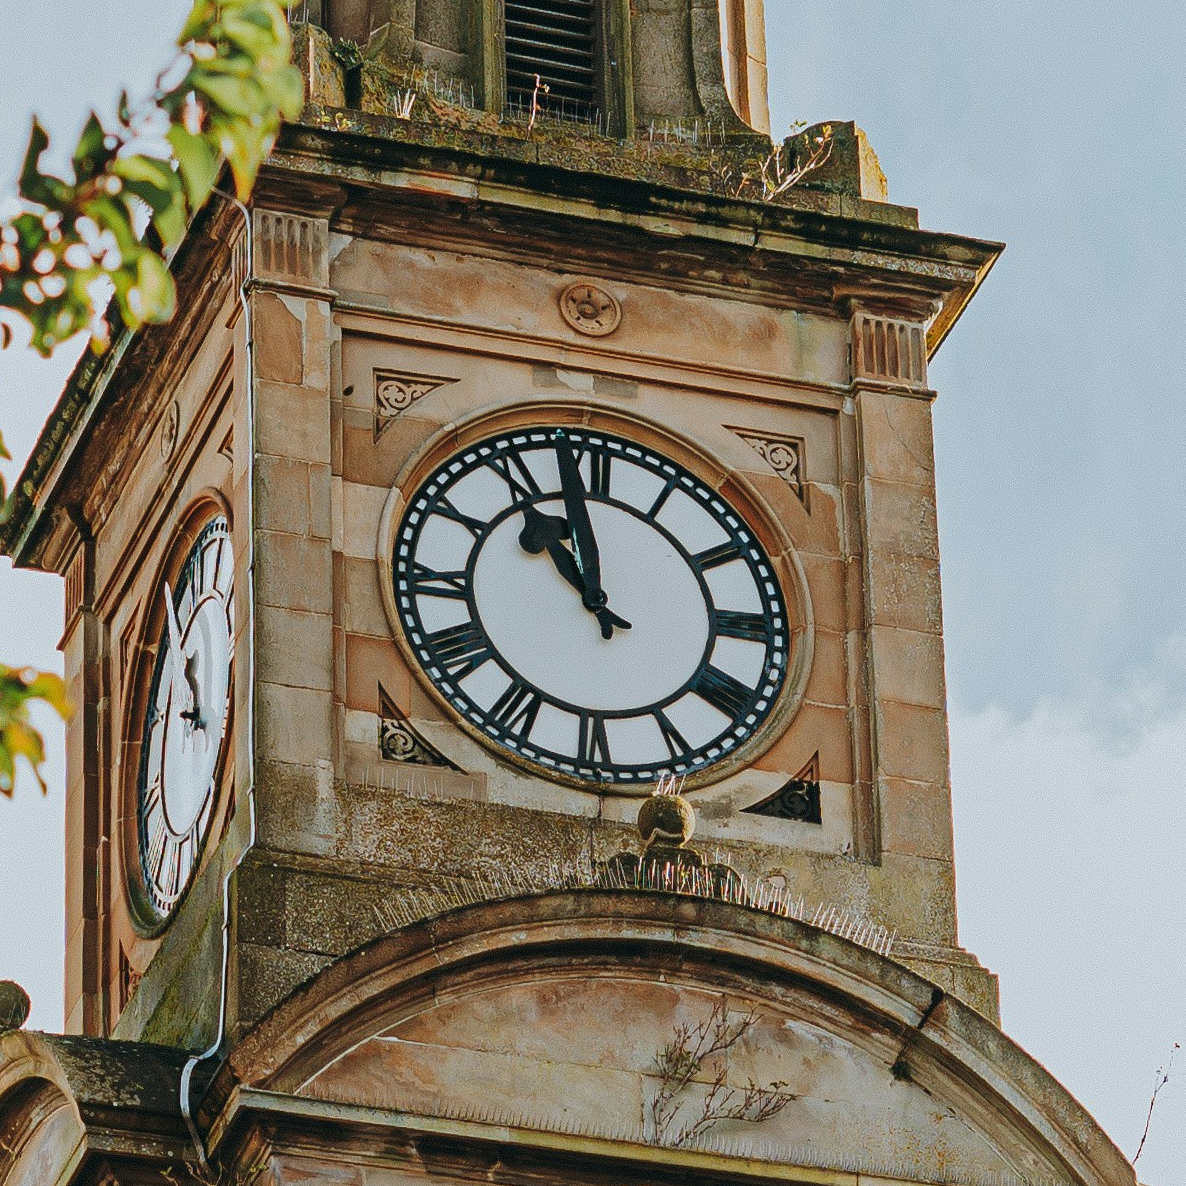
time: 10:58
